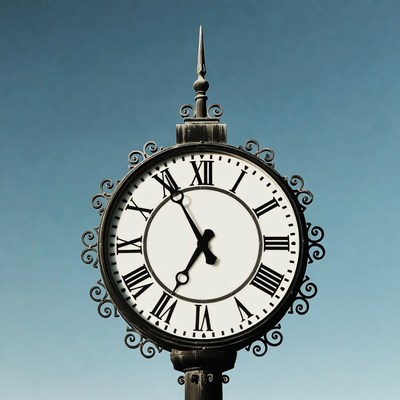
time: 6:55
